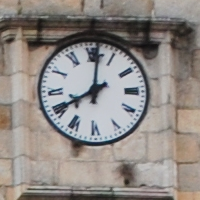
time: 8:01
